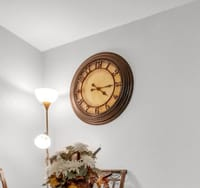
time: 4:14
